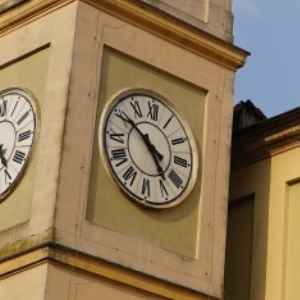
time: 4:50
